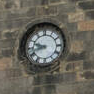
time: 9:42
